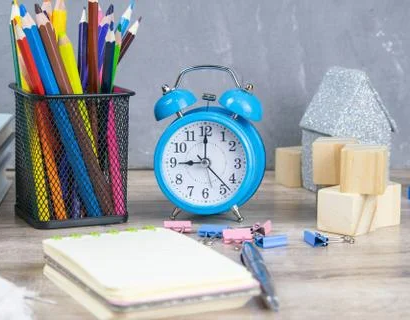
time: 8:59
